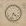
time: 4:32
